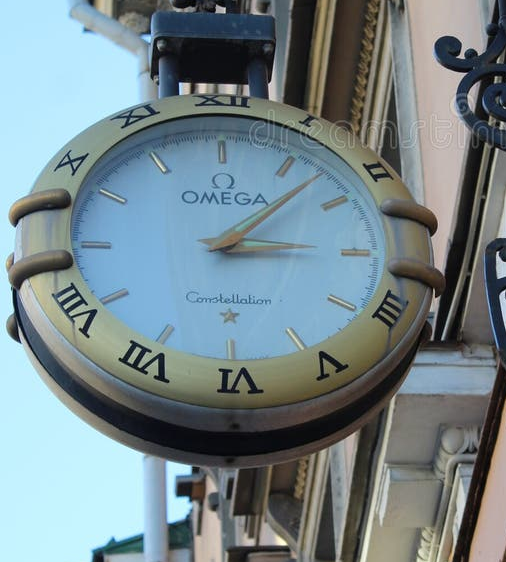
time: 3:07
